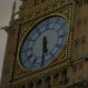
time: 5:30
